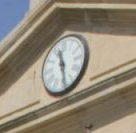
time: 11:28
